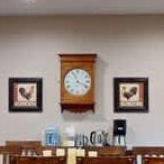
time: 11:18
